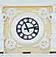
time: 11:13
